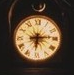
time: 6:13
